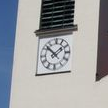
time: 1:52
